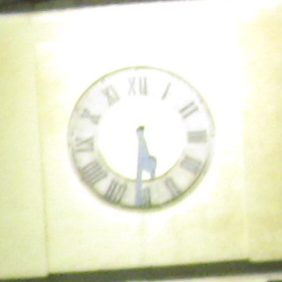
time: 5:30
